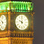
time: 10:00
